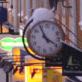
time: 3:55
